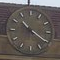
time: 10:20
